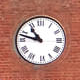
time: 10:47
